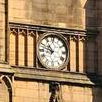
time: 10:47
